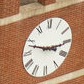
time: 2:48
